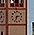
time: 2:33
